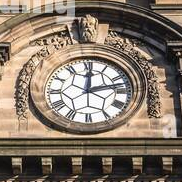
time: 12:12
